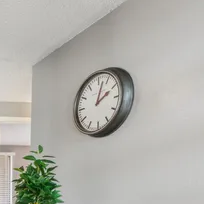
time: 2:02
